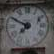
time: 7:49
